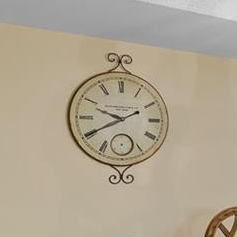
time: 9:40
